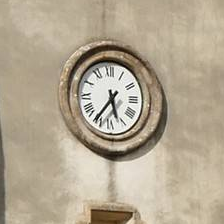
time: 5:36
